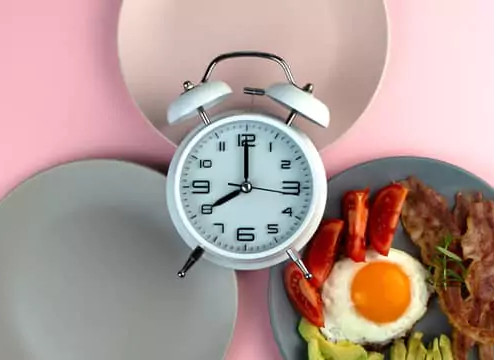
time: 8:00
